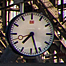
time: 7:27
